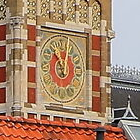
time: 11:02
